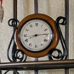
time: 8:14
